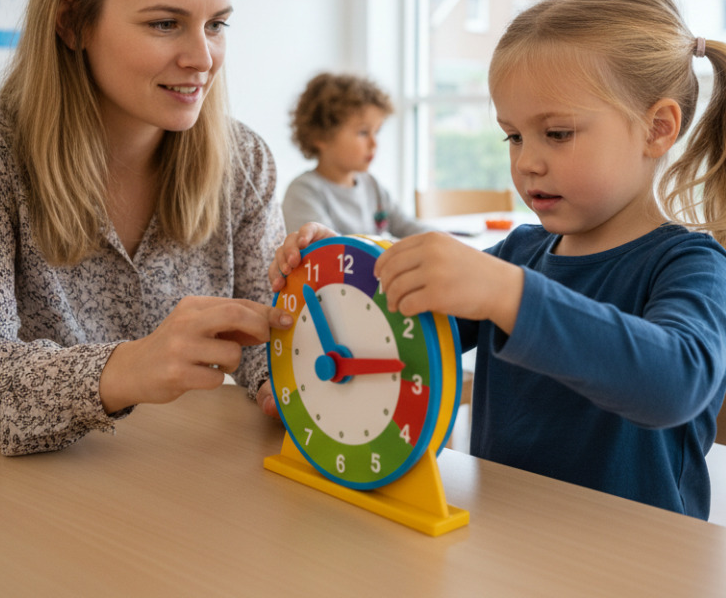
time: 11:13
